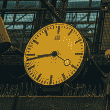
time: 8:43
